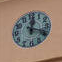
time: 12:18
